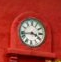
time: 3:42
